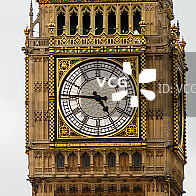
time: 4:46
